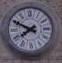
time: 7:49
